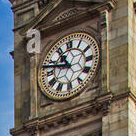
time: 10:47
